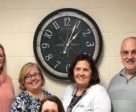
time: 1:03
